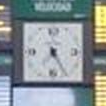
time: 7:25
